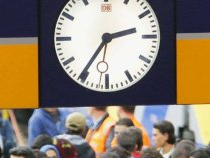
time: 2:35
